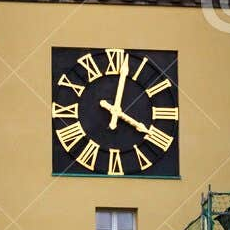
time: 4:02
